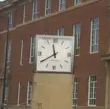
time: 11:39
